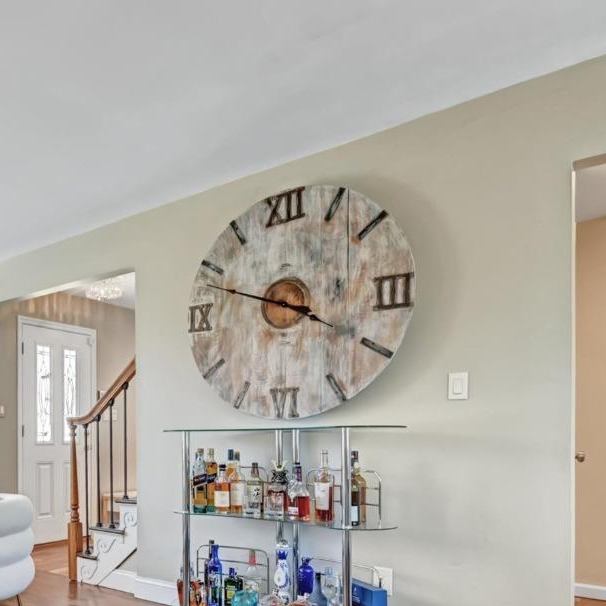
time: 3:48
